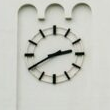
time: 2:40
